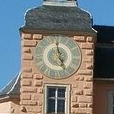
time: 4:59
